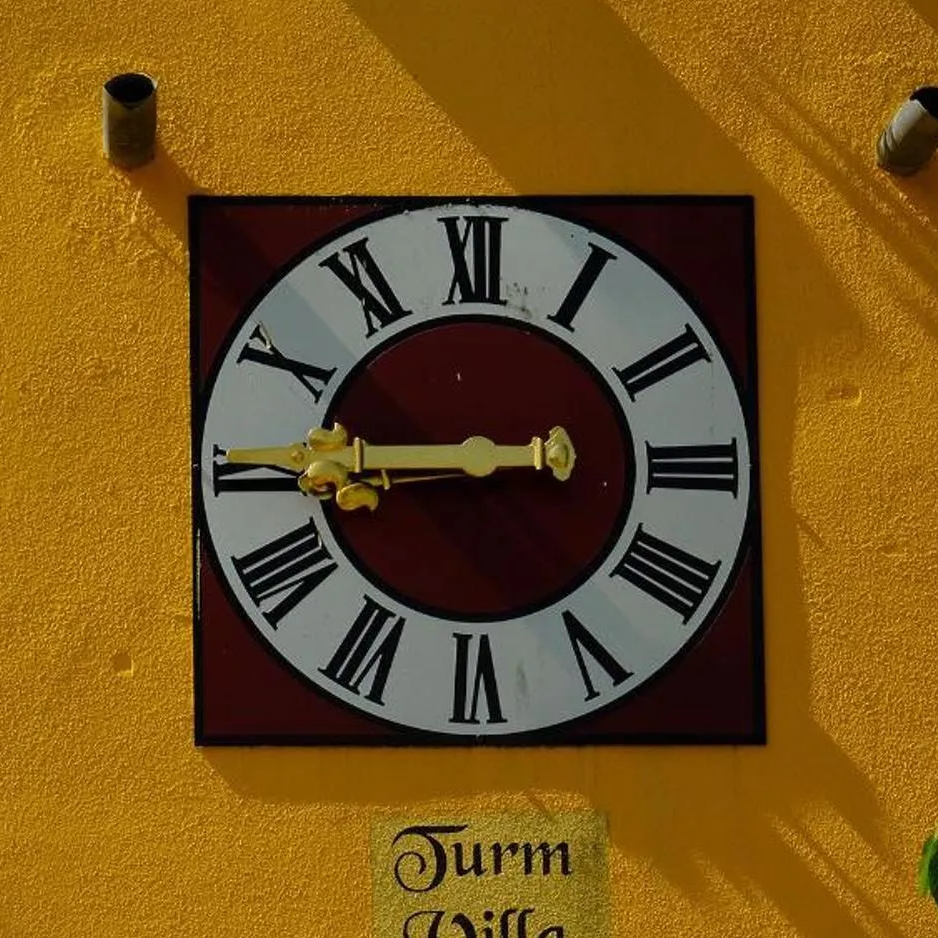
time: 8:44
